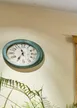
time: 11:35
